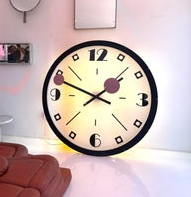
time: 1:48
